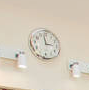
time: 2:58
